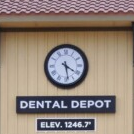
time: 4:28
